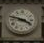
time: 3:47
